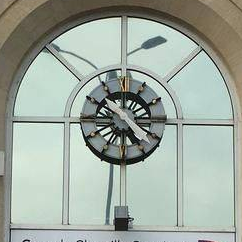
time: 4:49
